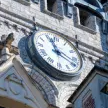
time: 11:19
